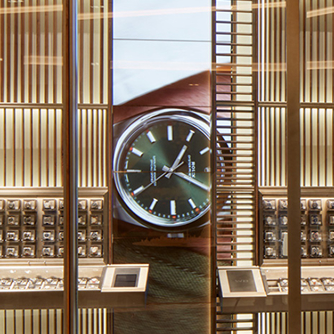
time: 1:19
